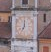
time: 7:00
